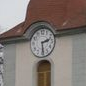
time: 2:29
